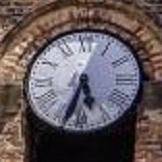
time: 5:33
